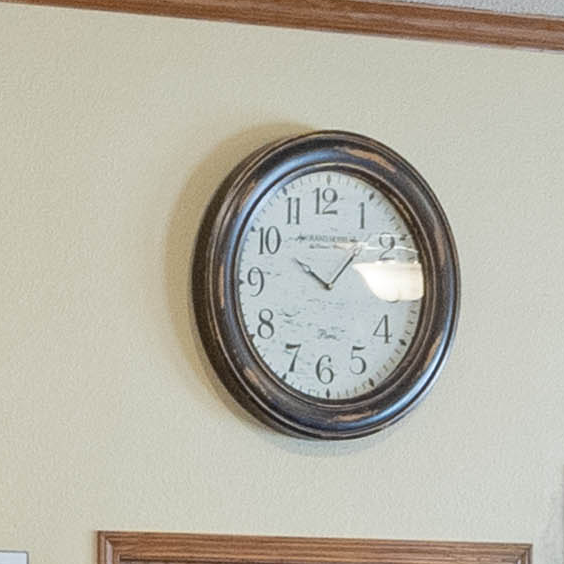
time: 10:07
